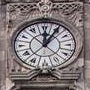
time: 12:05
